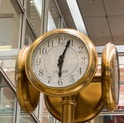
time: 6:03
